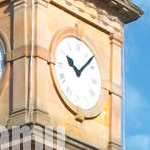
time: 10:07
